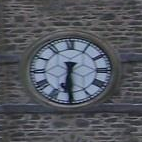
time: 6:30
